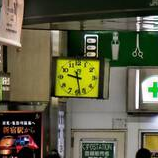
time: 9:28
